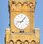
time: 9:07
